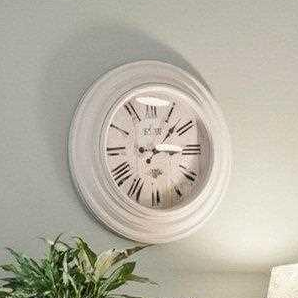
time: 1:14
